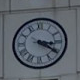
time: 3:20
